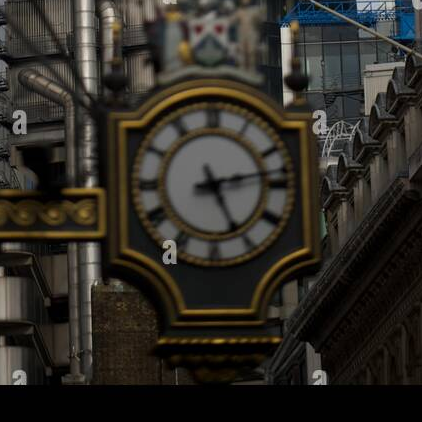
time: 5:13
